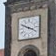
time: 3:49
